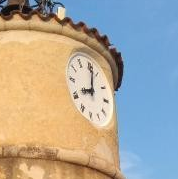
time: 8:01
